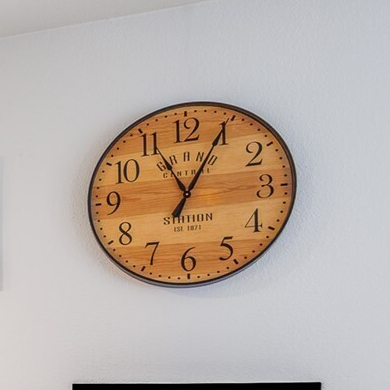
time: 11:04
